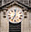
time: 7:00
